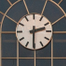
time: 2:30
